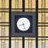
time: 8:27
